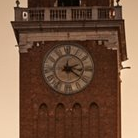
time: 2:21
